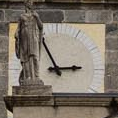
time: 2:54
